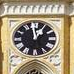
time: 12:58
